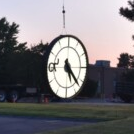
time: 5:22
